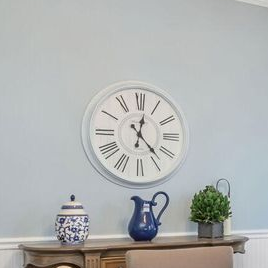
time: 12:23
